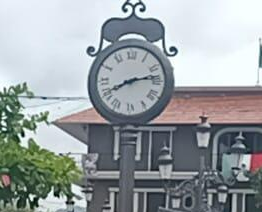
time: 8:13
